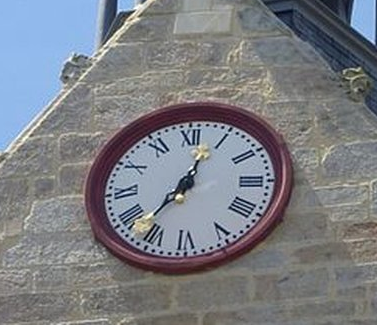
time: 12:36
